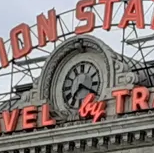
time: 7:19
